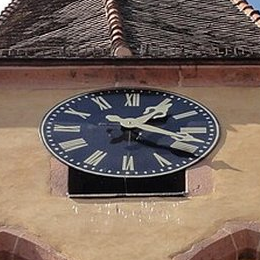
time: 1:18
